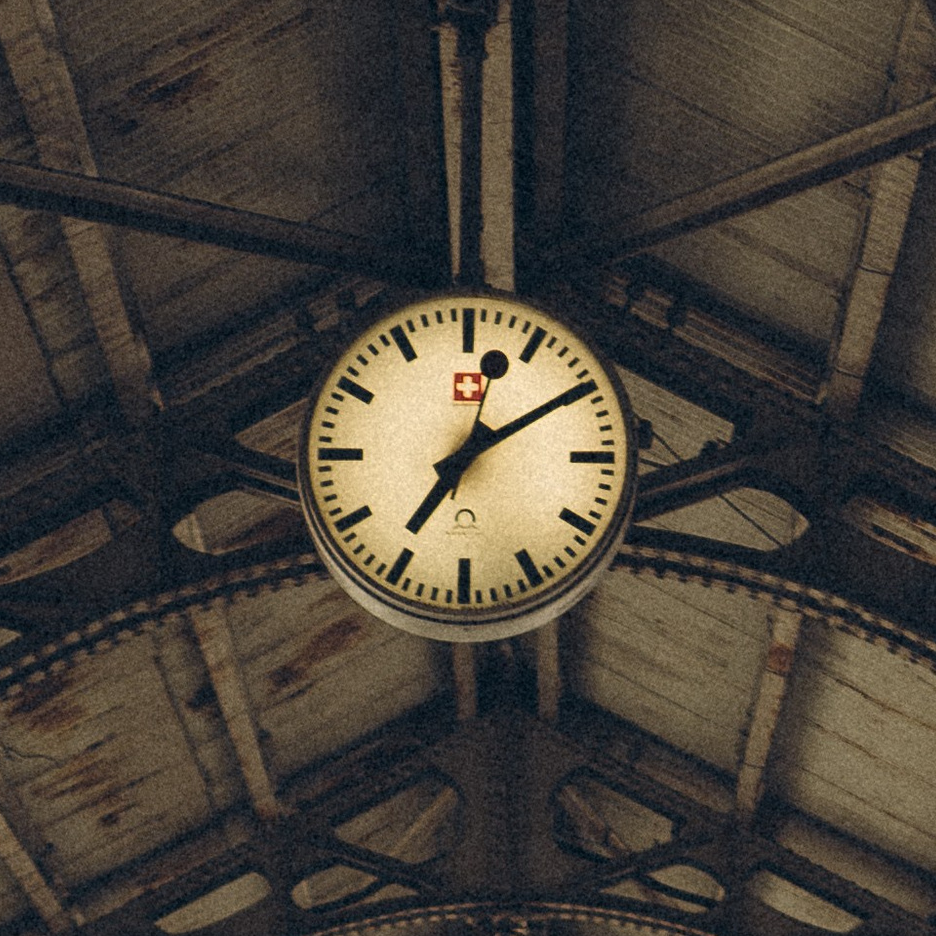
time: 7:09
